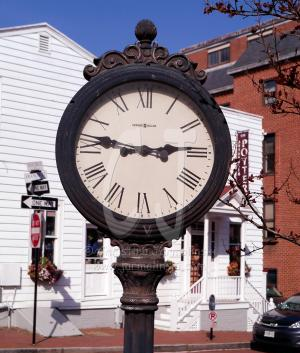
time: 2:46
